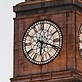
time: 6:18
